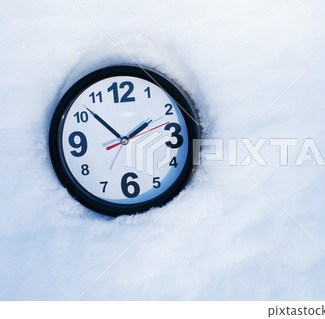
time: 1:52
